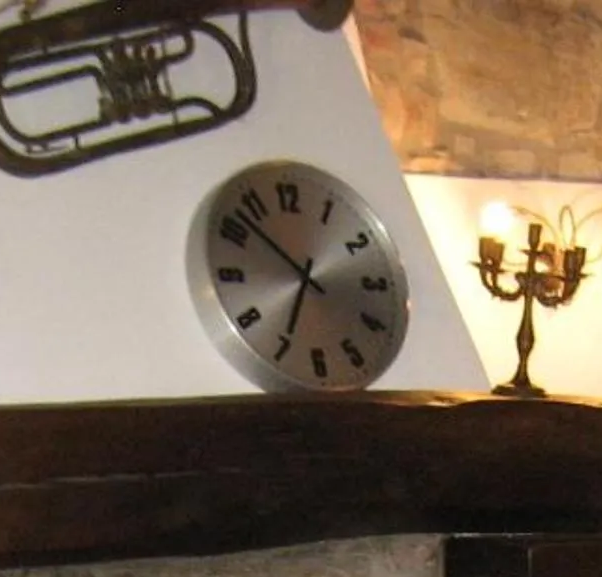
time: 6:52
